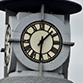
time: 1:30
